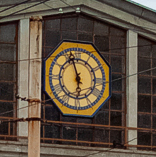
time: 5:57
